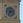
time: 7:12
